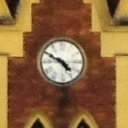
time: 4:50
